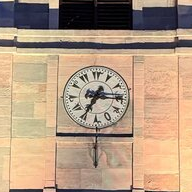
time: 7:15
